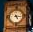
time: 5:15
